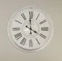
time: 3:59
